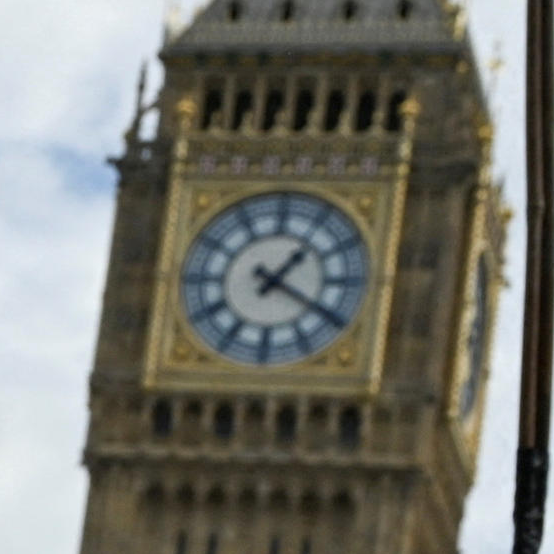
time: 1:20
